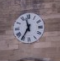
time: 11:35
